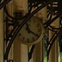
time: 11:20
